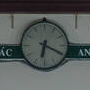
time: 6:19
